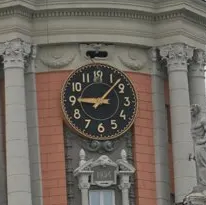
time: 9:07
